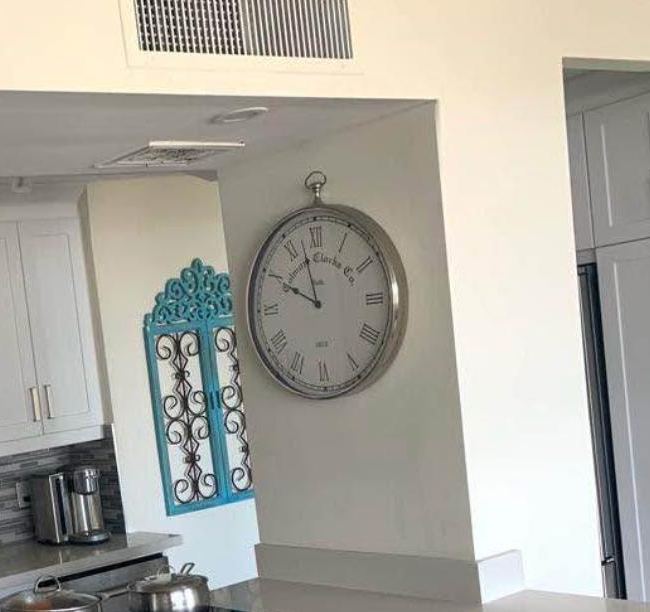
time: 9:57
